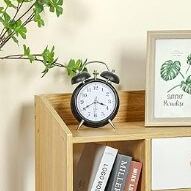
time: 3:40
